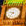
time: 9:36
